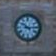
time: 10:14
